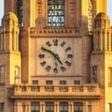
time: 4:50
